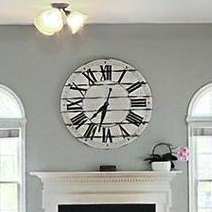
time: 7:32
